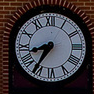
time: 8:35
